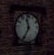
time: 11:35
